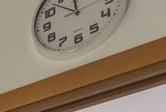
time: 11:52
